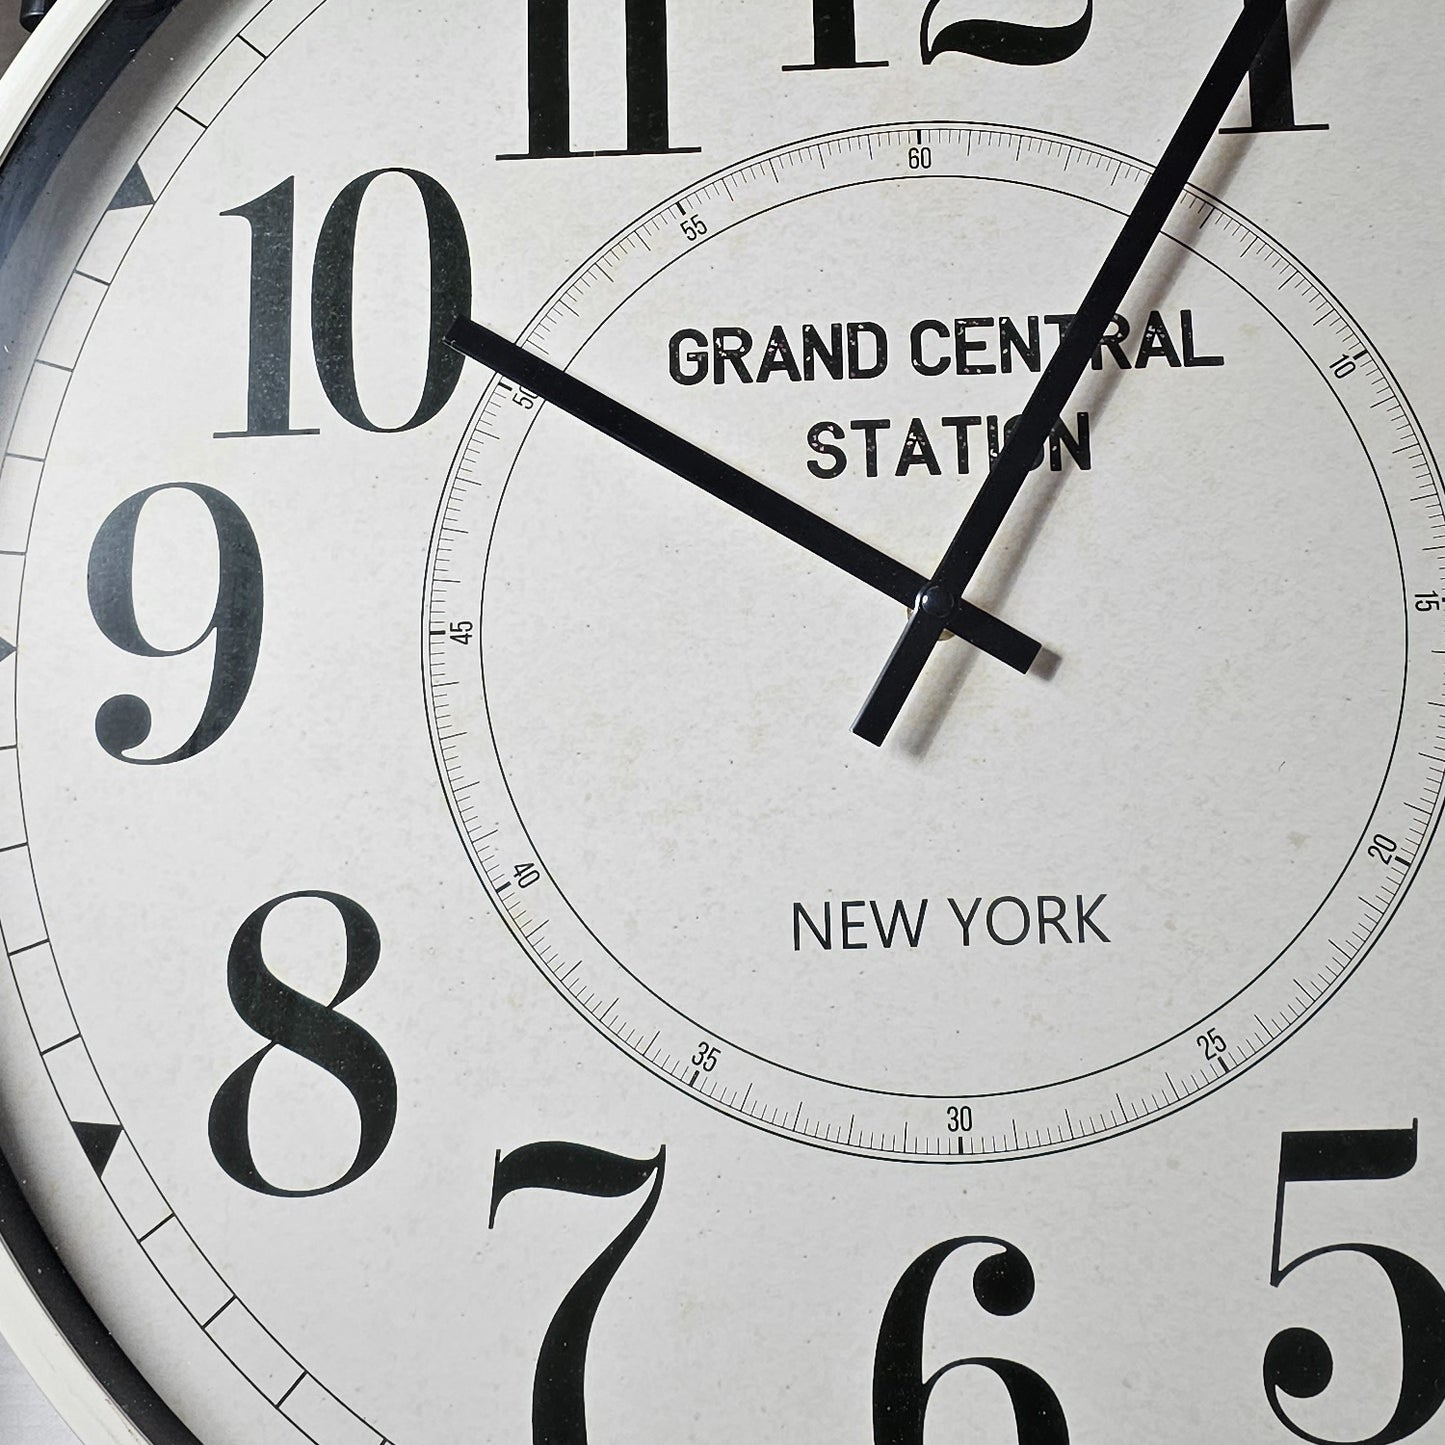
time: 10:05
